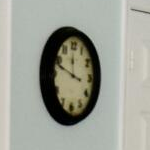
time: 11:48
